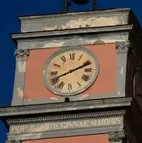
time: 8:11
